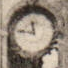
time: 11:46
